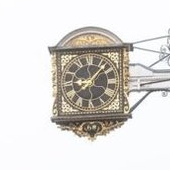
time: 9:07
